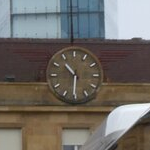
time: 10:30
